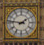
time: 1:46
